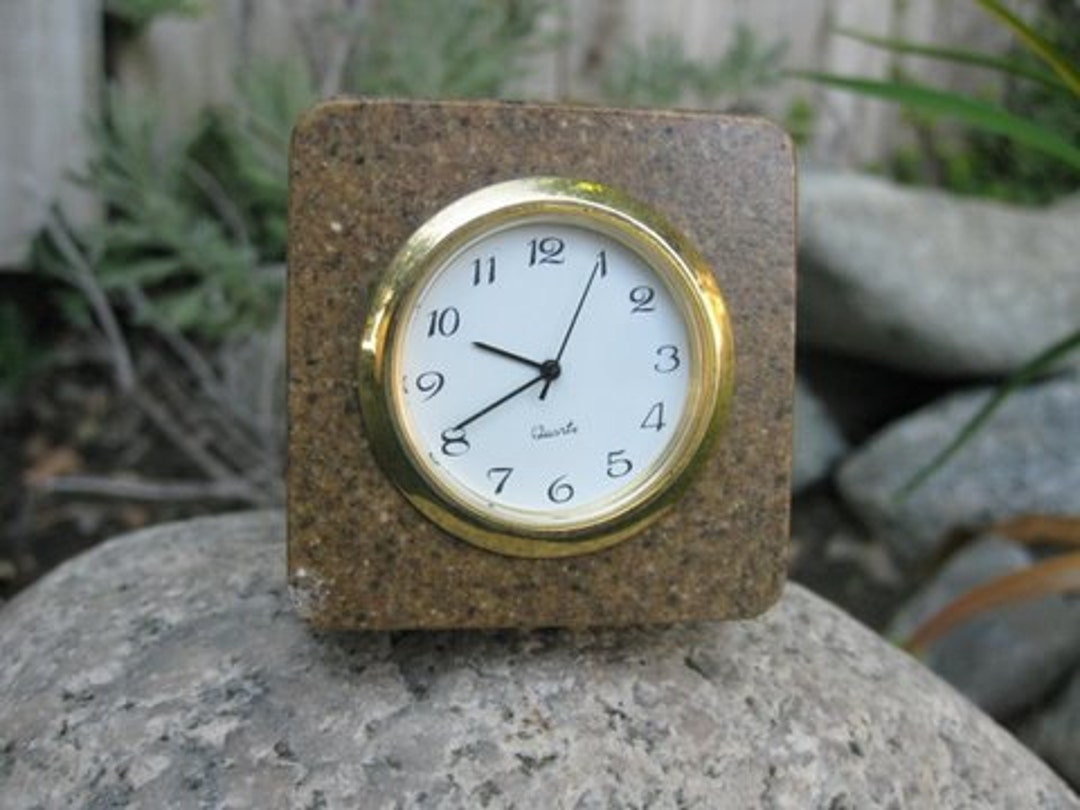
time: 9:40
